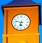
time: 6:47
